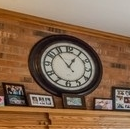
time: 12:53
